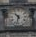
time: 10:32
